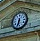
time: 6:32
